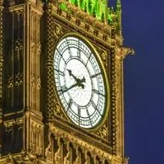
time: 9:39
